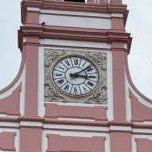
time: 3:08
